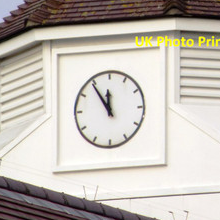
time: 11:54
